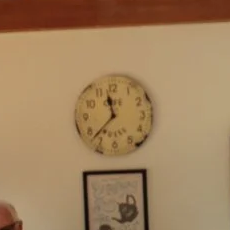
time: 11:37
